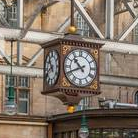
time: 10:41
